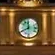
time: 11:40
